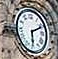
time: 6:11
